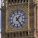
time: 1:24
